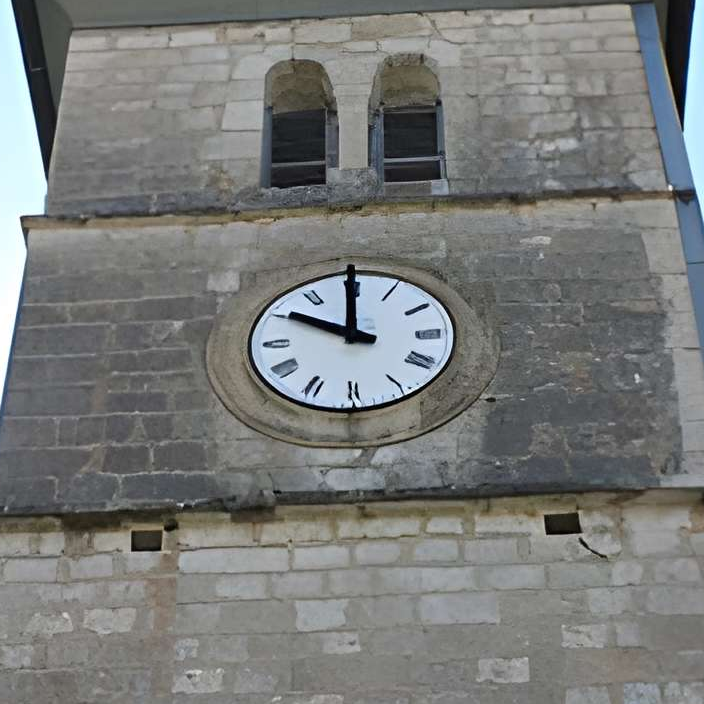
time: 9:59
